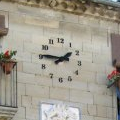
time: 1:45
